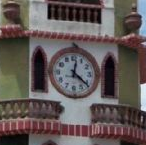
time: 12:21
